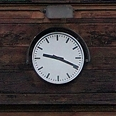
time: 9:19
